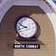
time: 9:42
